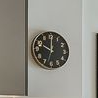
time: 10:00
